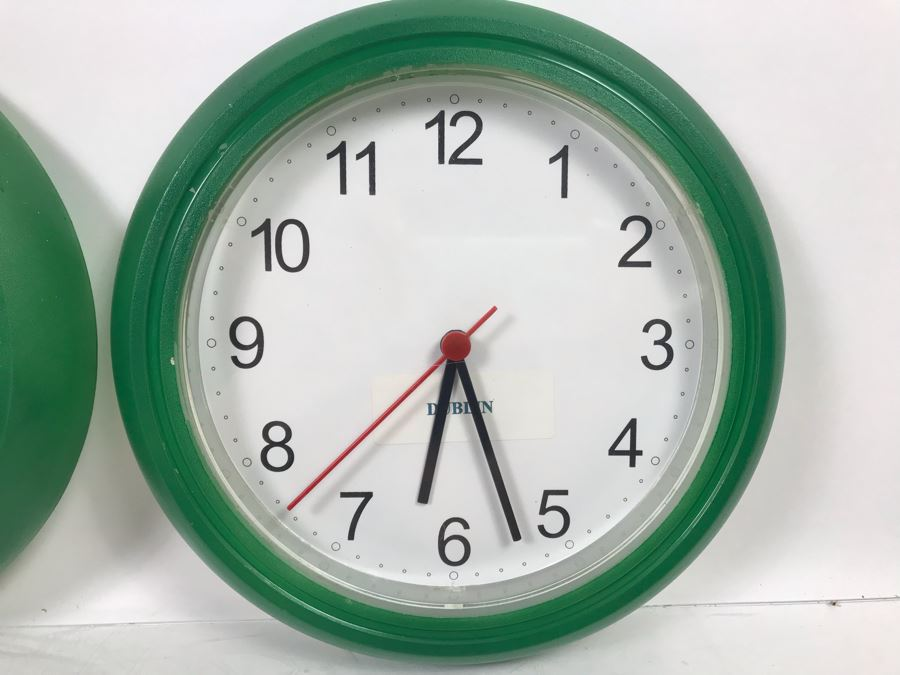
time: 6:26
